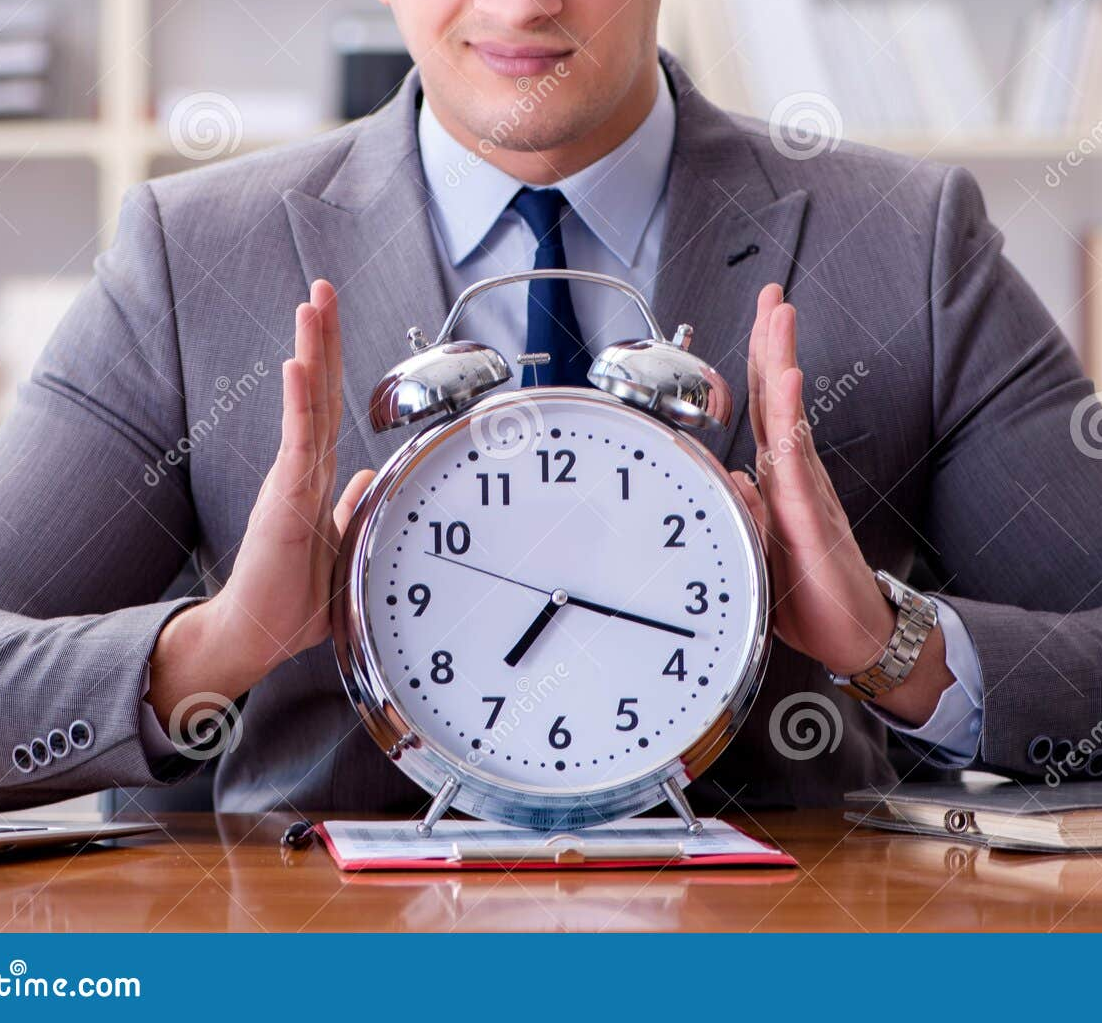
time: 7:17
